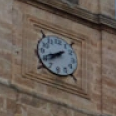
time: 7:41
